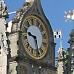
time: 9:28
